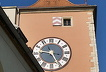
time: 9:25
